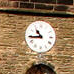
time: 10:44
